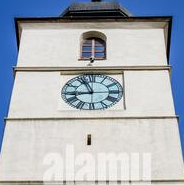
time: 8:56
